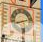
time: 8:12
